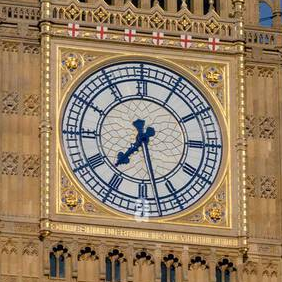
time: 7:27
